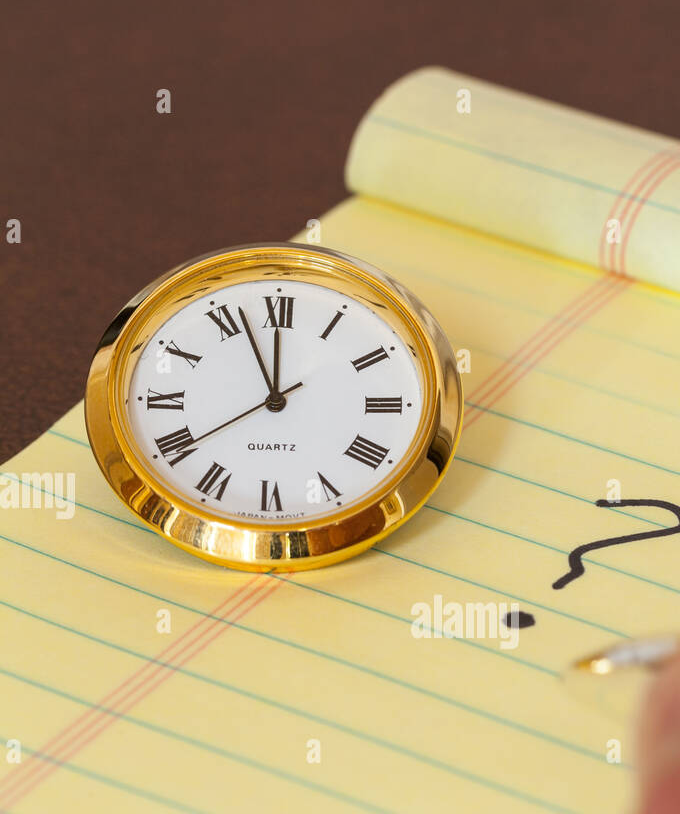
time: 11:56
